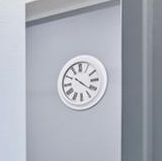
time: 10:20
